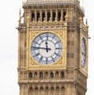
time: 11:46
